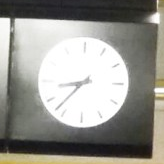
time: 8:37
